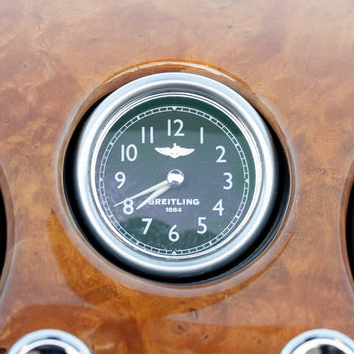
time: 7:40
